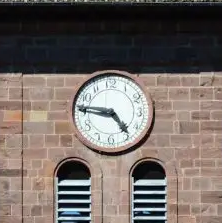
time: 4:46
